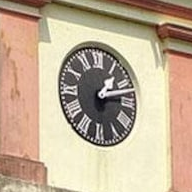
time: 1:12
